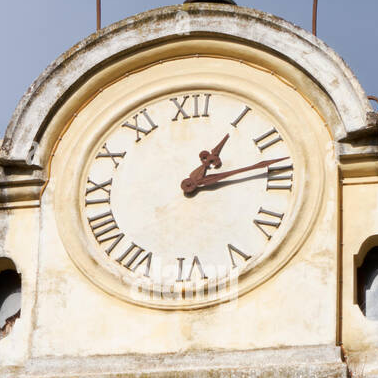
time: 1:13
